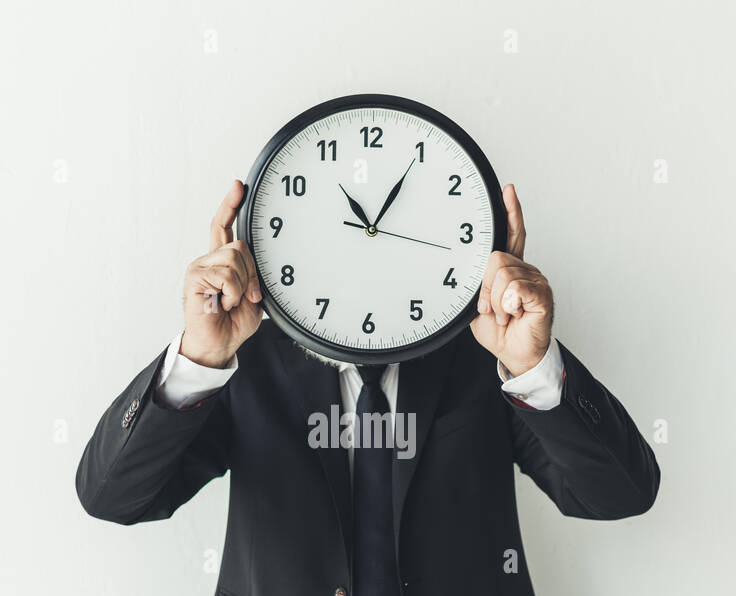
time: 11:05
